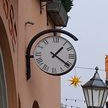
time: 1:20
